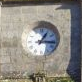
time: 1:16
